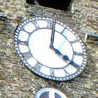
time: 4:01
